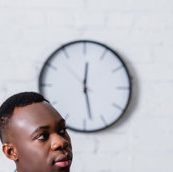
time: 12:28
